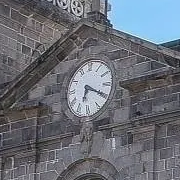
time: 6:19
